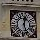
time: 12:26
